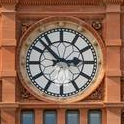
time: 2:52
